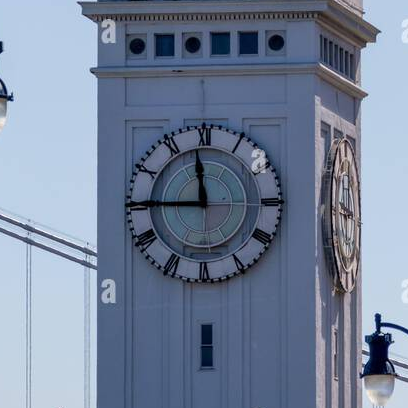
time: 11:45
